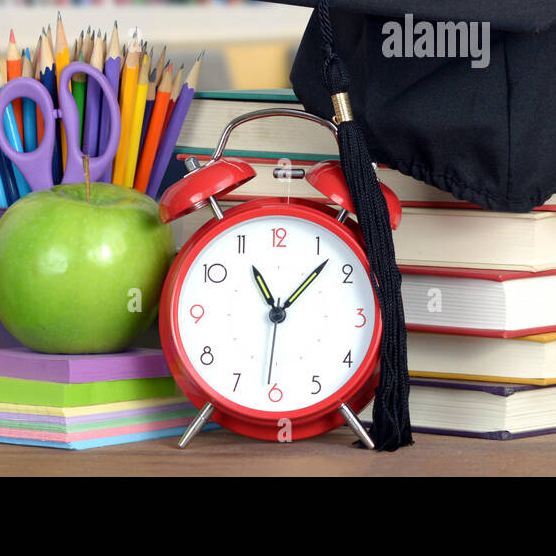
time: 11:07
